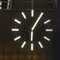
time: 6:05
